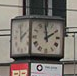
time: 1:59
